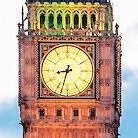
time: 8:32
